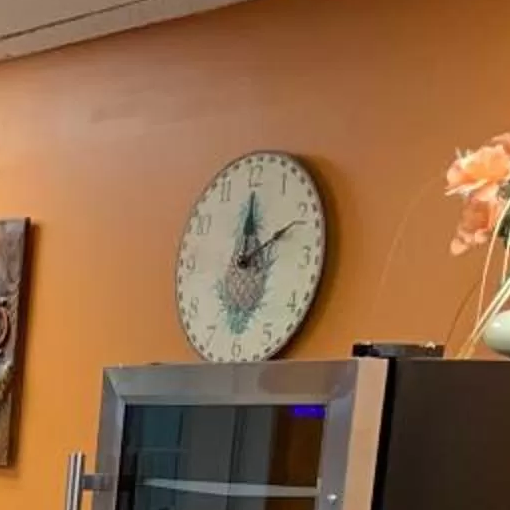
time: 12:10
